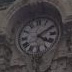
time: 4:09
